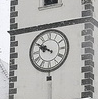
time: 9:50
